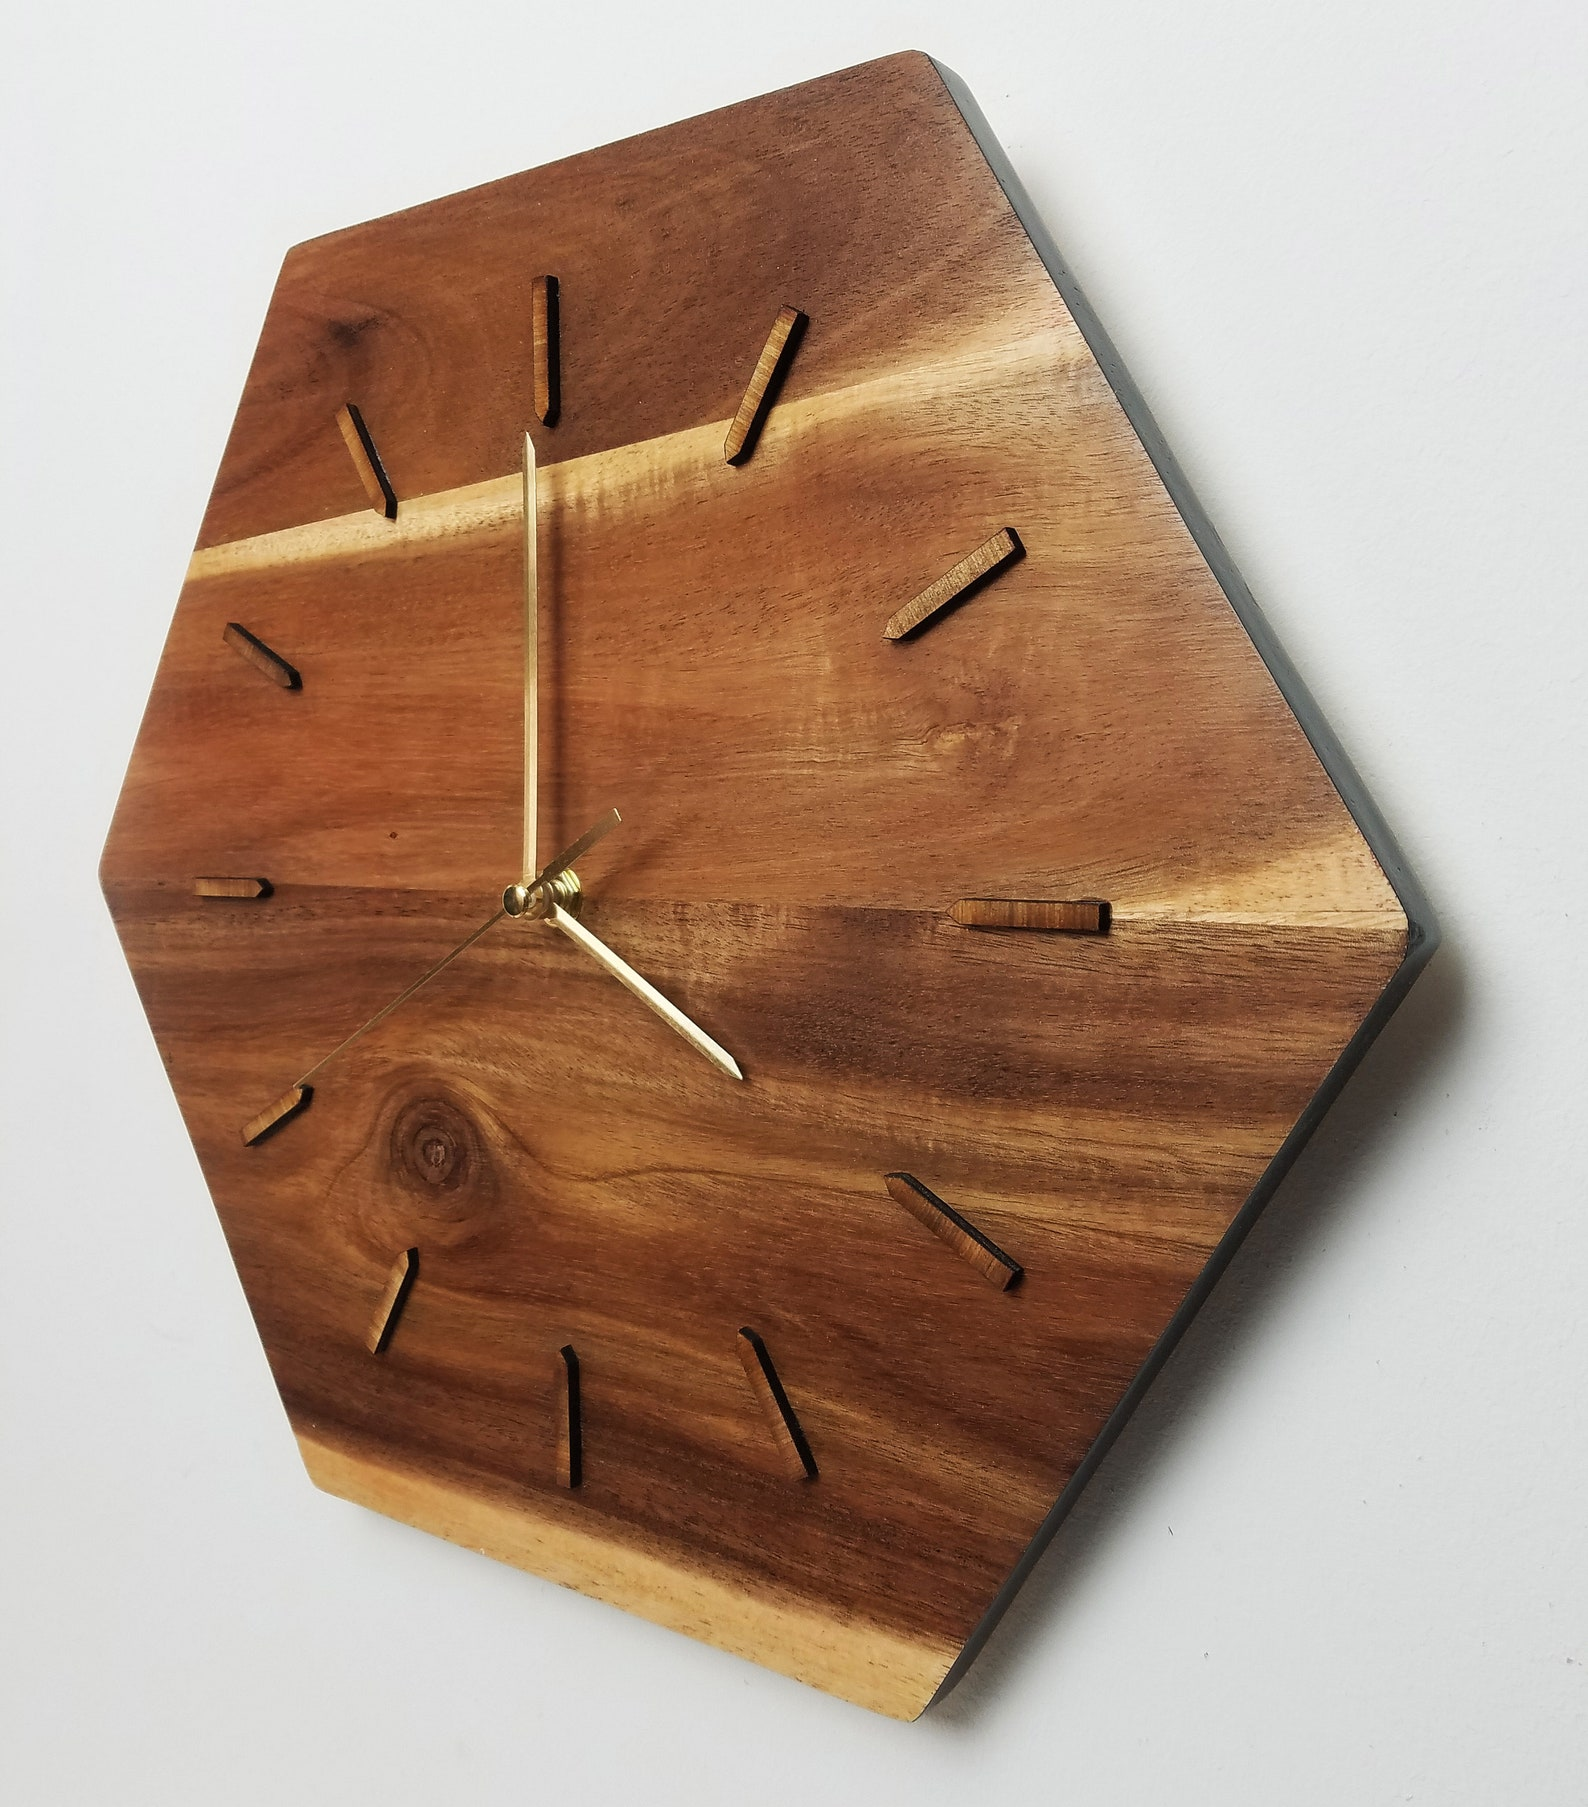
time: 4:00
